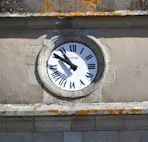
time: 10:50
